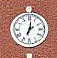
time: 7:01
